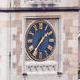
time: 1:36
